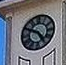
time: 4:49
